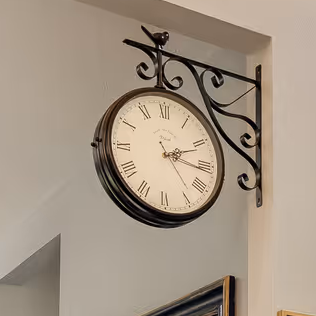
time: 2:16
